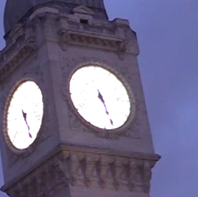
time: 5:26
